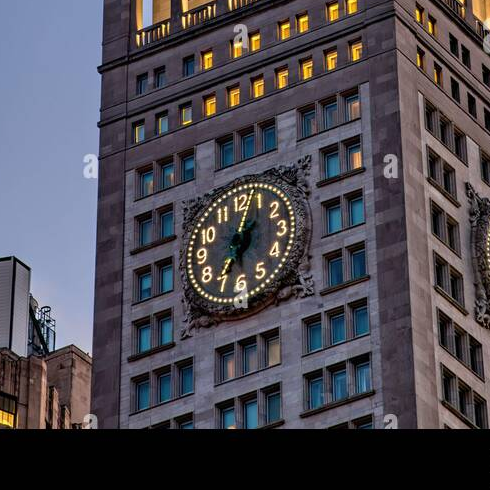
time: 7:02
